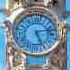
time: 5:12
